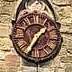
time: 1:35
